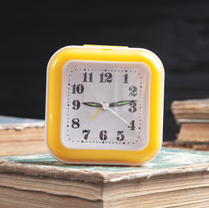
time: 9:13
